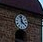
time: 3:58
